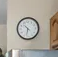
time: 10:32
